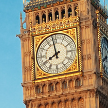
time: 7:58
